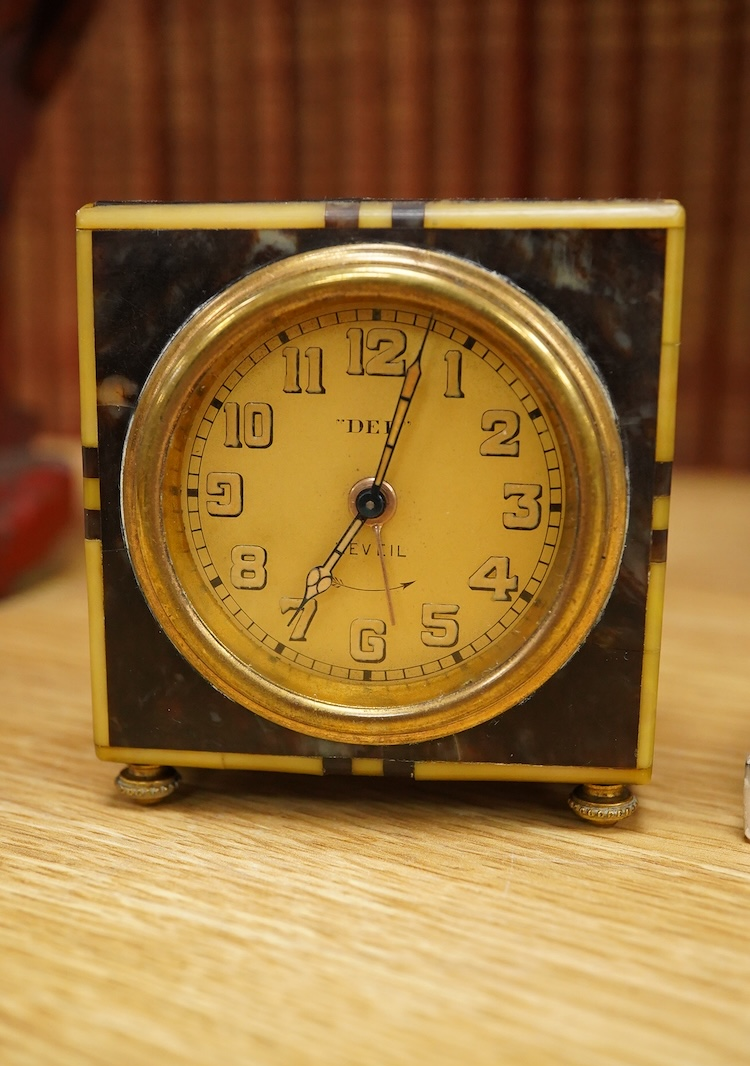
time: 7:03
